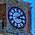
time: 3:09
